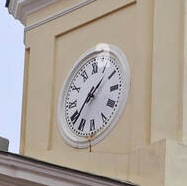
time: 1:38
